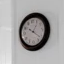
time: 1:21
